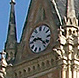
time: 9:22
